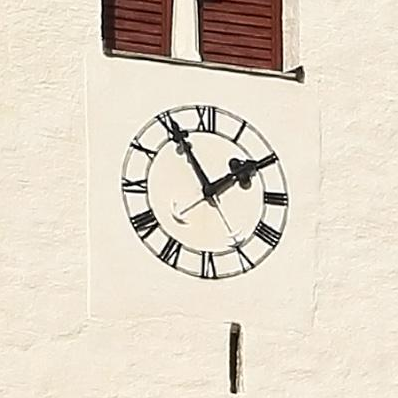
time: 1:55
